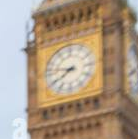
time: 7:46
